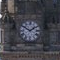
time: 1:50
